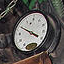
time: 3:49
